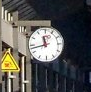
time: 11:42
